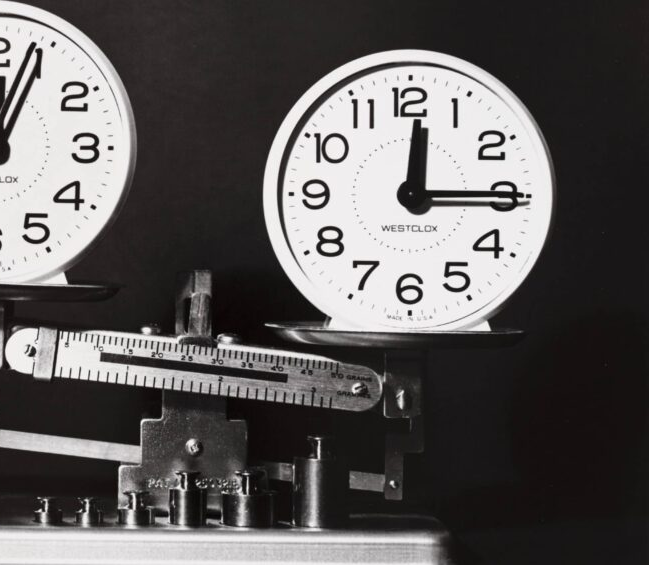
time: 12:14
